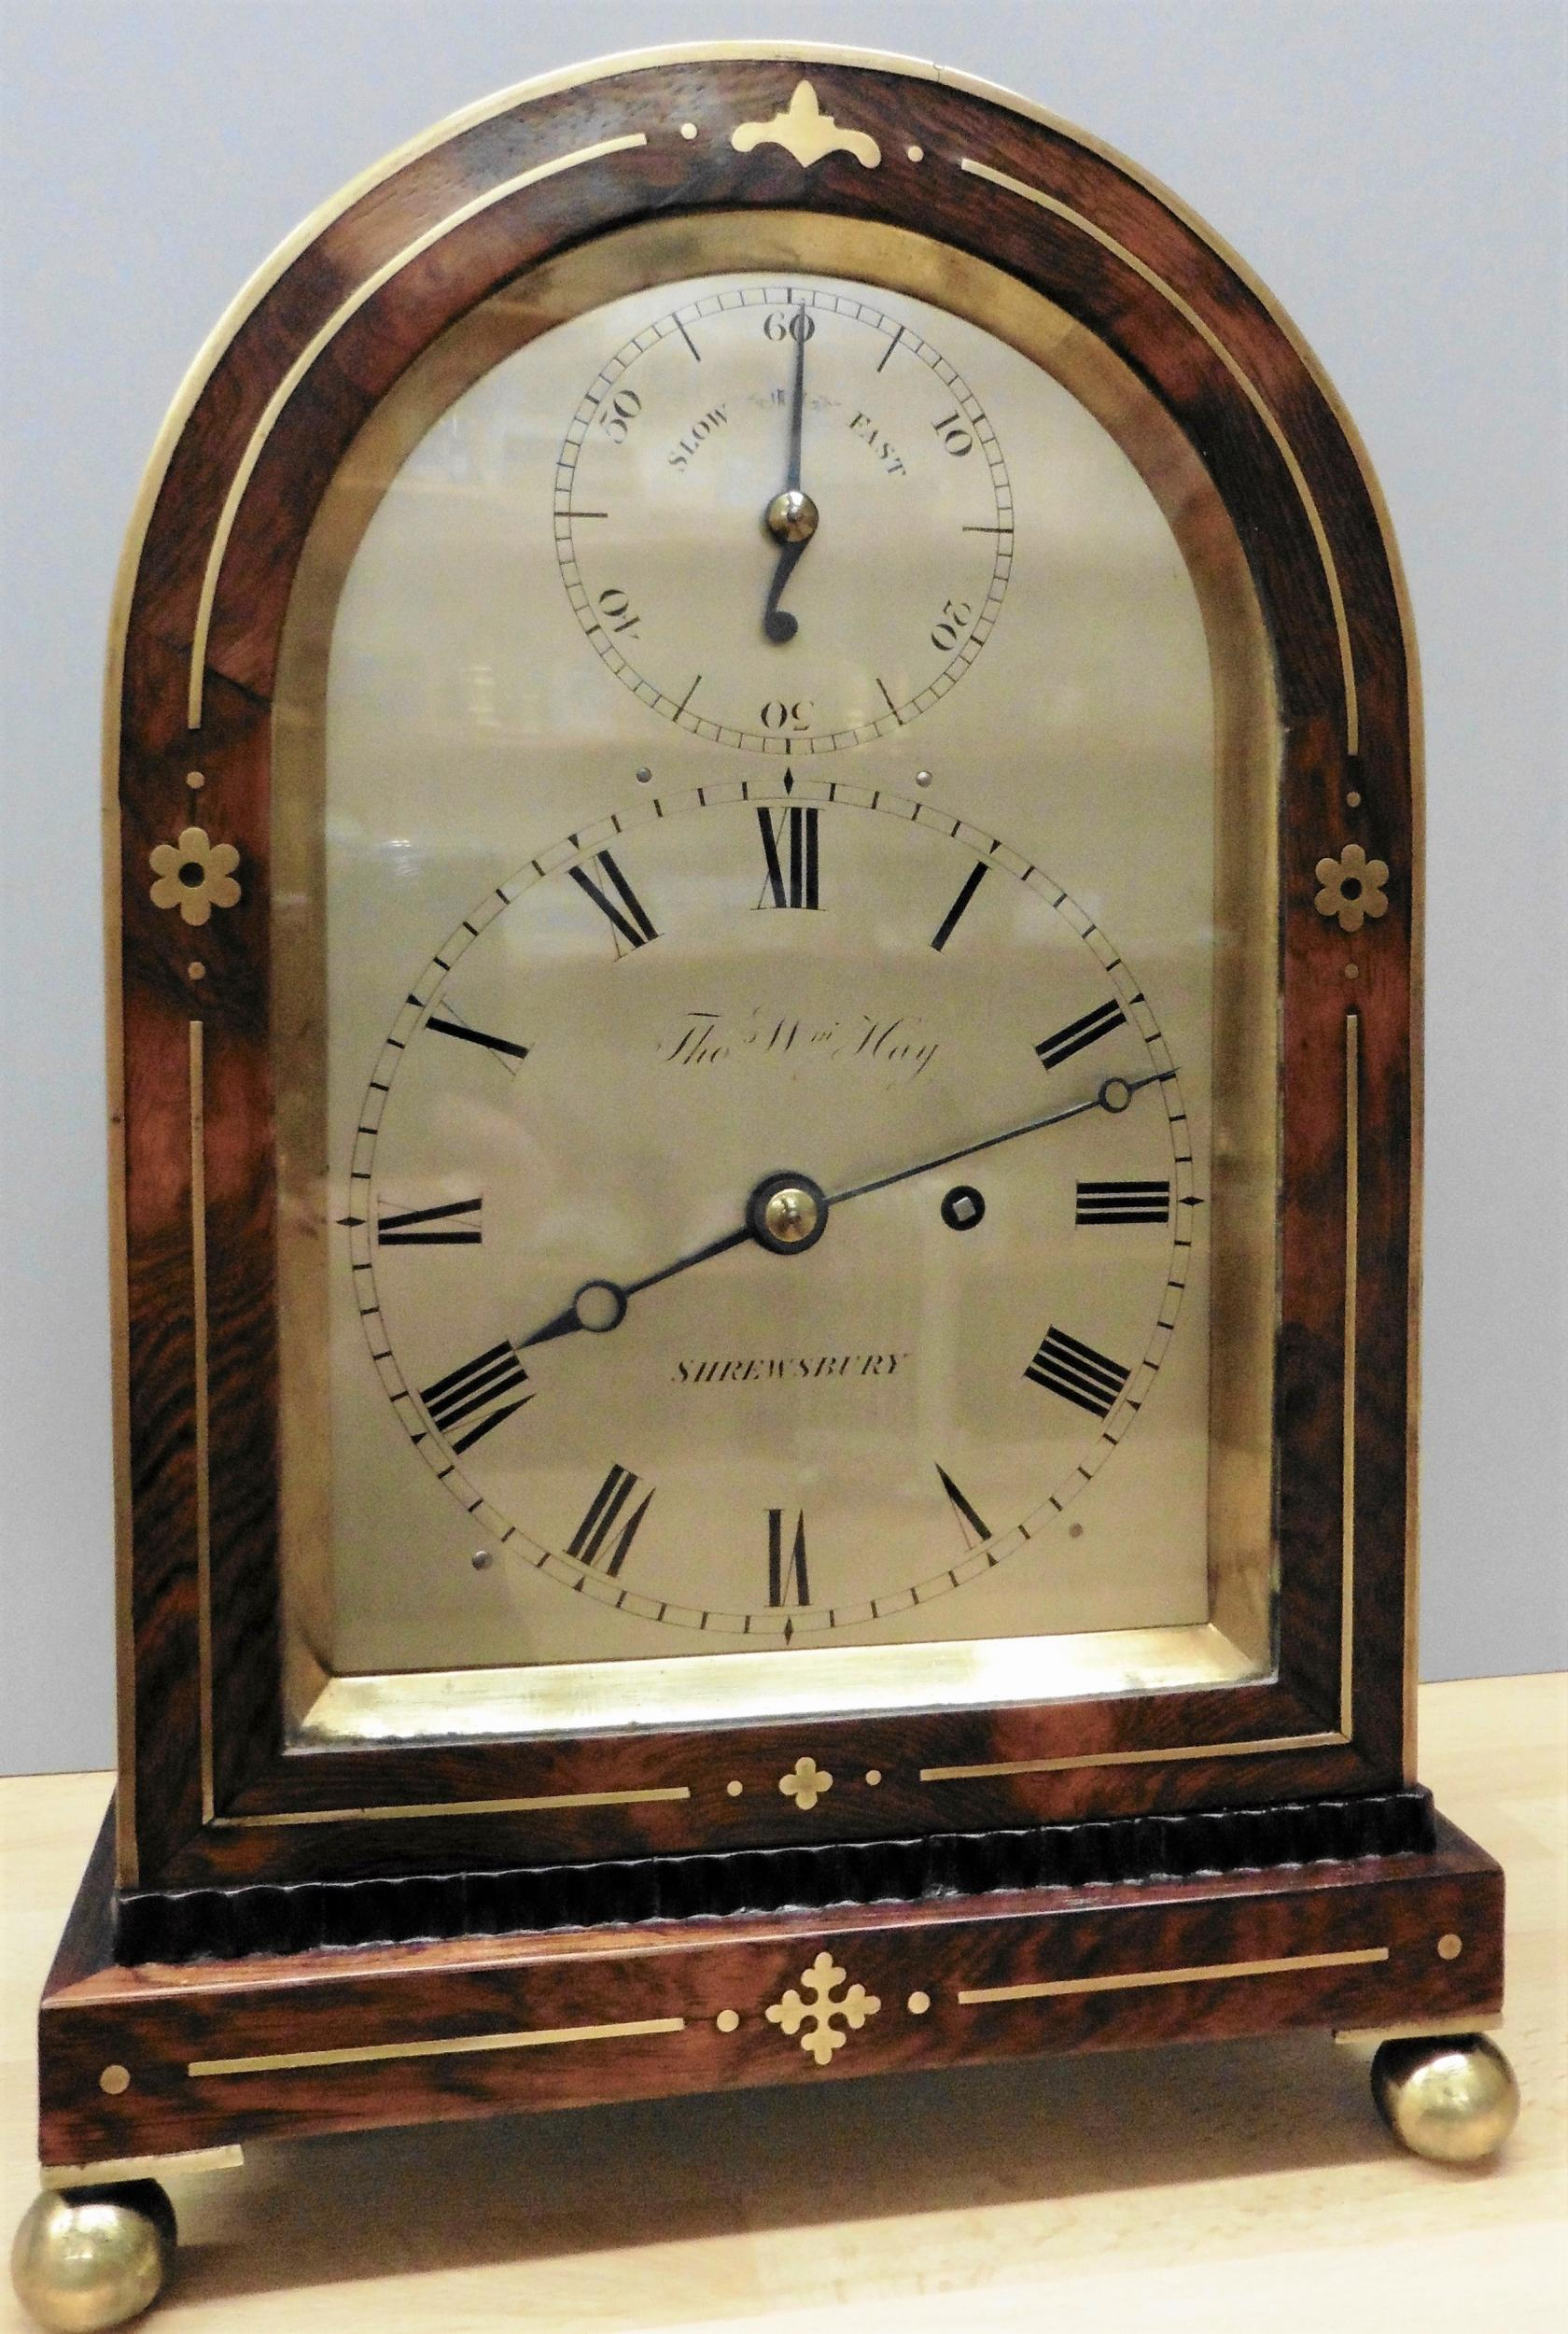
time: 2:40
